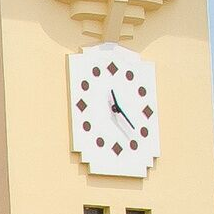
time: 11:21
